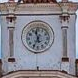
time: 11:34
